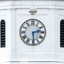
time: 2:29
